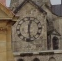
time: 12:28
